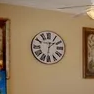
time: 1:31
